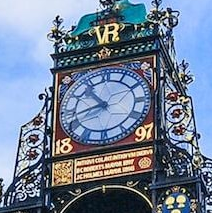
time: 10:42
